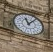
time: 11:07
